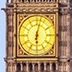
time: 6:02
